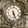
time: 5:26
